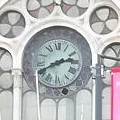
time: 2:40
